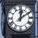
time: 12:09
